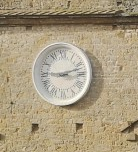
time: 9:12
